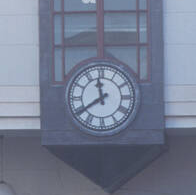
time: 11:39
